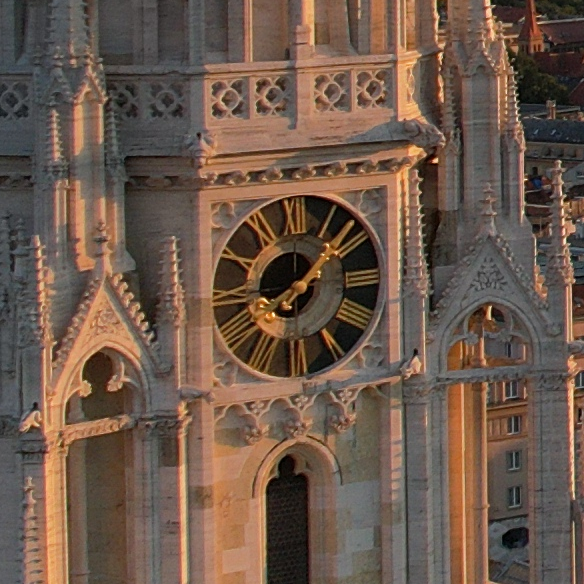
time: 8:07
